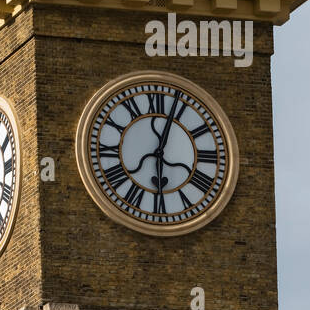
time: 6:03
